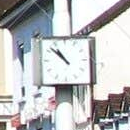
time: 10:52
